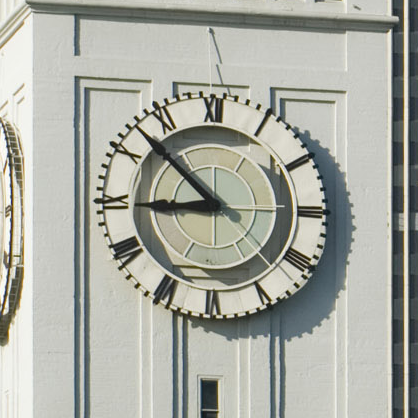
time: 8:52
